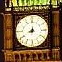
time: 8:01
